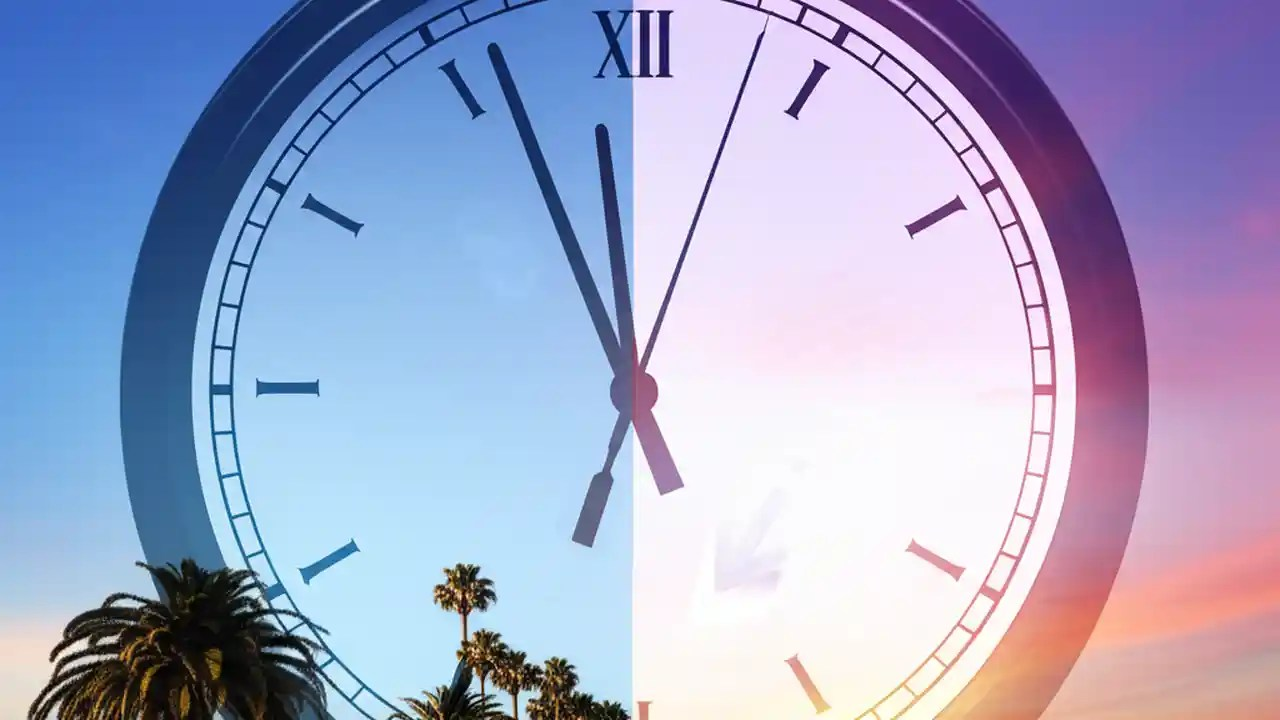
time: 11:56
